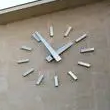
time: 1:56
